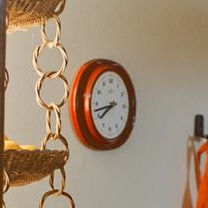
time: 7:42
